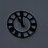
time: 11:00
